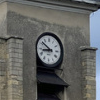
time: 8:51
